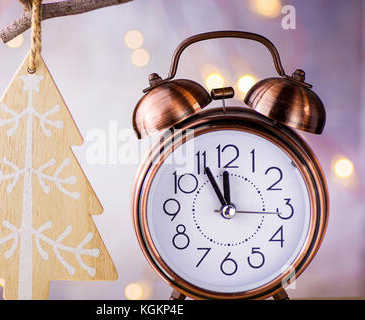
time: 11:55
